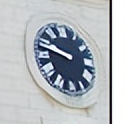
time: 9:47
